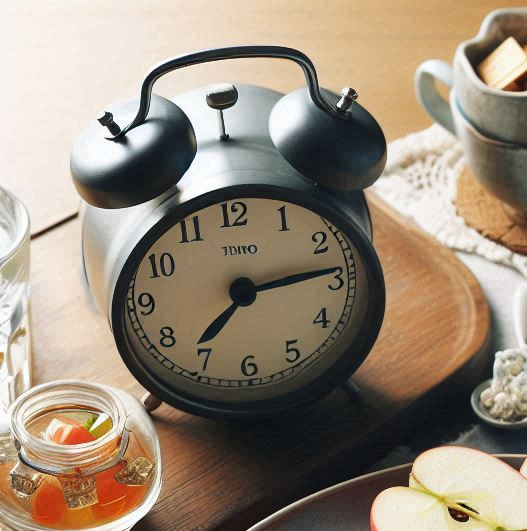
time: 7:13
